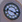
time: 3:47
